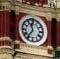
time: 11:36
